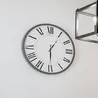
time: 6:05
